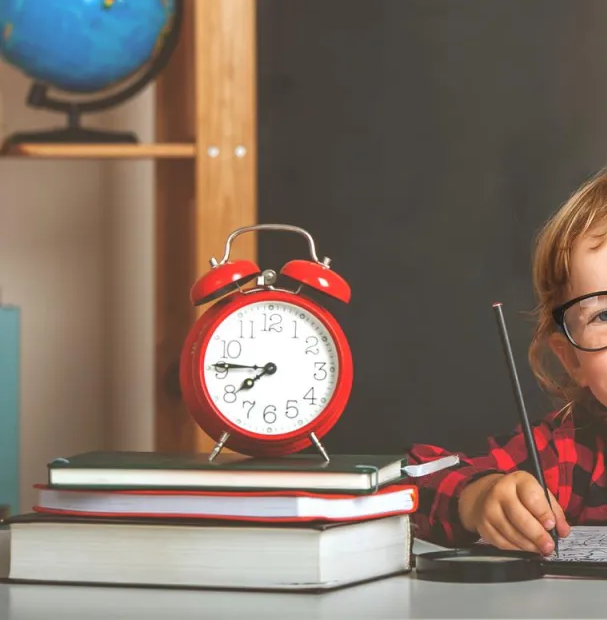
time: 7:45
